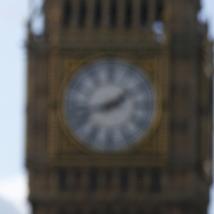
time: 1:42
